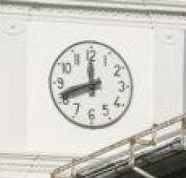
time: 11:41
